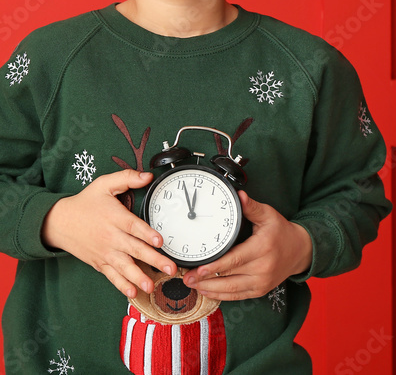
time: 11:55
